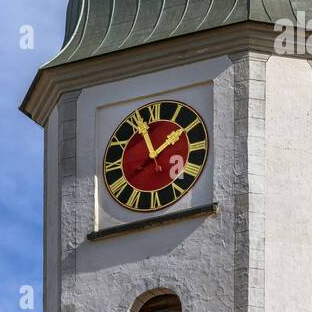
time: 1:56
